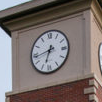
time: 6:43
